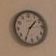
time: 1:35
